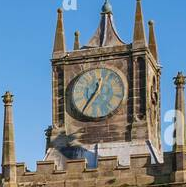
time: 12:35
